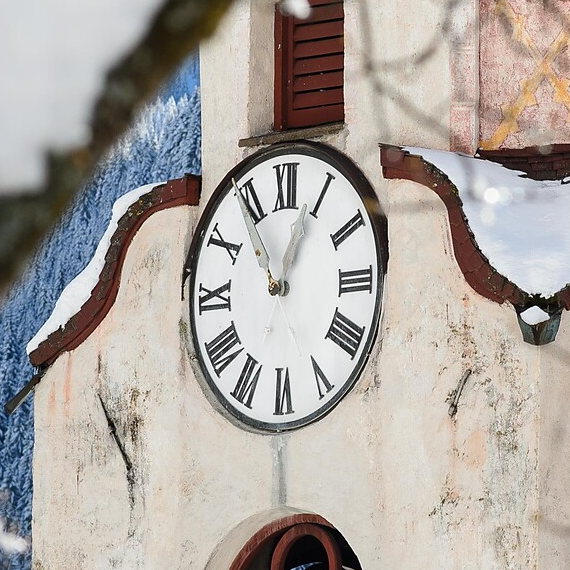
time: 11:04
